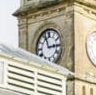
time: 2:56
